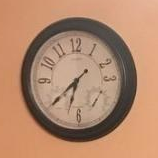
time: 6:38
